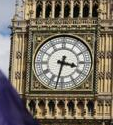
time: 3:32
